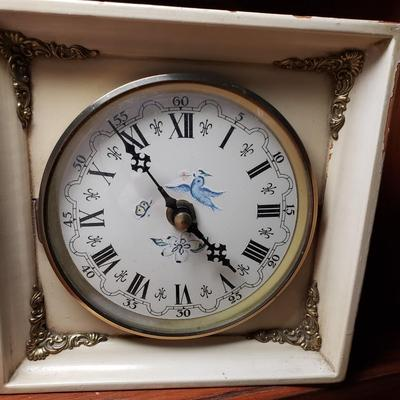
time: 4:54
